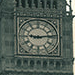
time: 9:13
